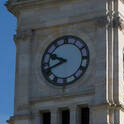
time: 9:41
